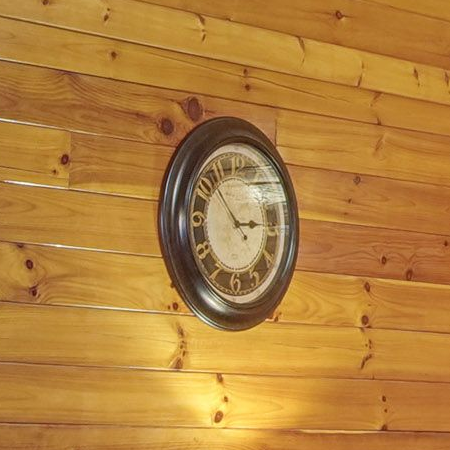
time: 2:53
